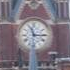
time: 11:15
